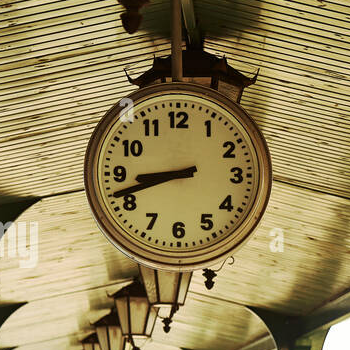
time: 8:41
